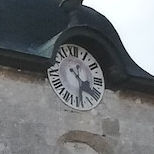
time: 4:29
